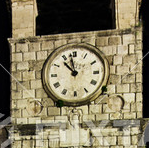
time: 10:58
